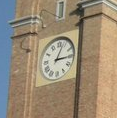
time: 3:03
